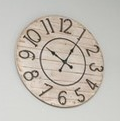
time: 10:05
